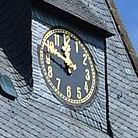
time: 11:46
